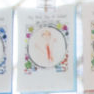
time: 5:26
